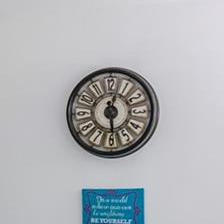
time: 12:28
